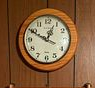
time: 12:49
